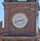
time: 2:42
